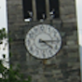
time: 4:14
